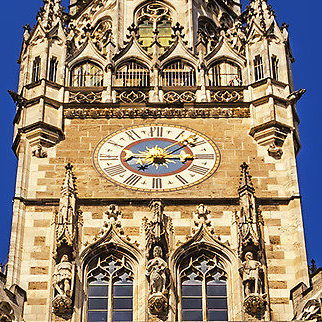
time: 7:15
